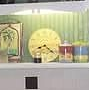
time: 8:21
